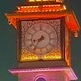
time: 8:36
